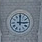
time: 3:00
